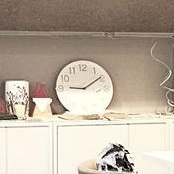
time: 9:09
